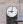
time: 9:01
